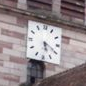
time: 5:19
